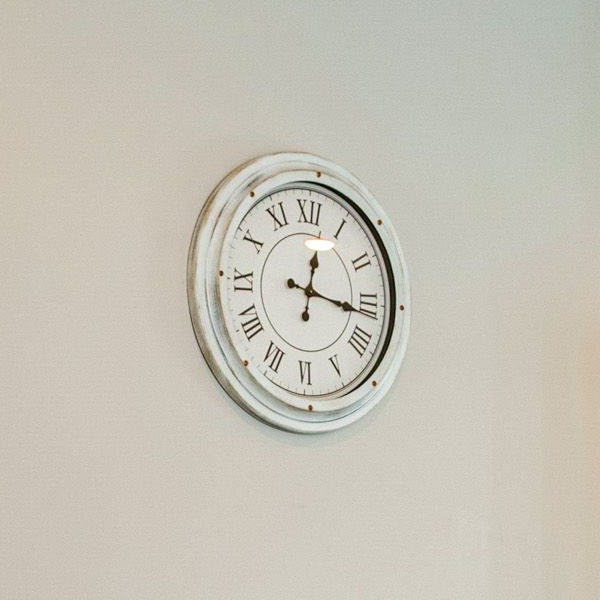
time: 12:16
